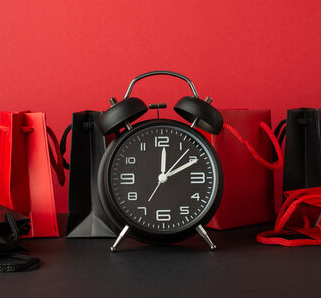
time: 12:10
